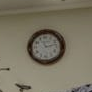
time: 11:12
